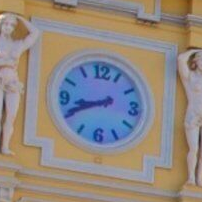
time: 8:41
